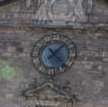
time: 1:22
